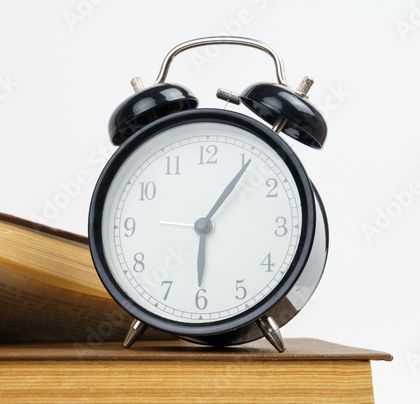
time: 6:06
